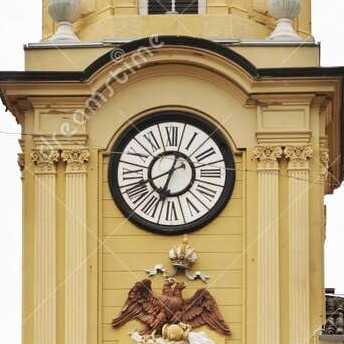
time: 12:33
